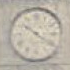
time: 10:20
